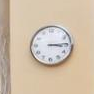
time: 3:14
